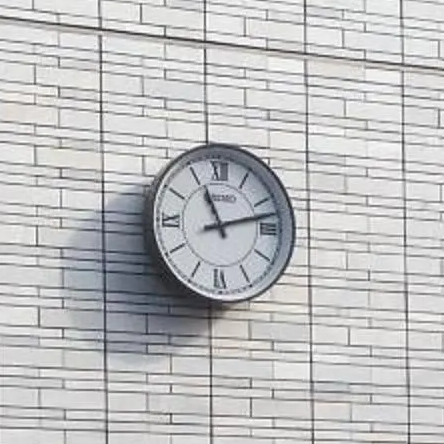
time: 11:12
